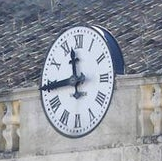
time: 11:43
